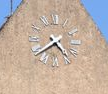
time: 4:39
